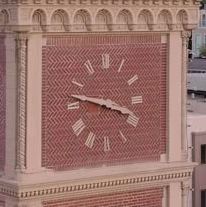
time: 3:47
